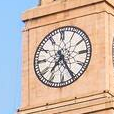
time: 7:25
